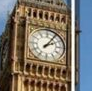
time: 2:06
